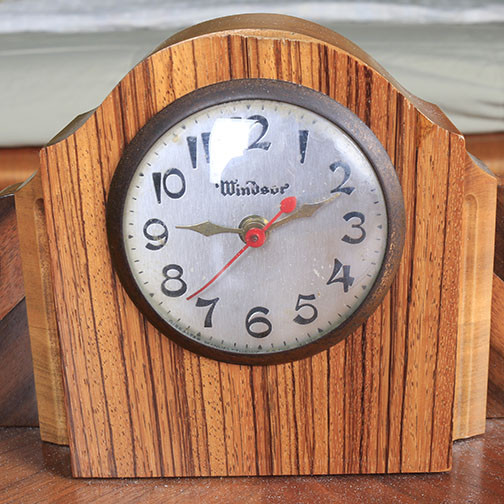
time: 9:11
